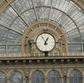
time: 12:55
